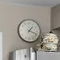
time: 1:18
